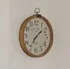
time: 7:08
